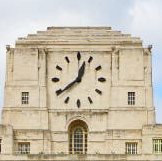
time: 12:38
